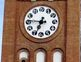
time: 6:46
